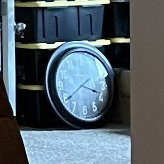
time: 3:39
